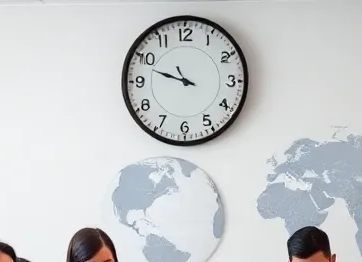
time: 9:48
